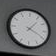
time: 1:19
